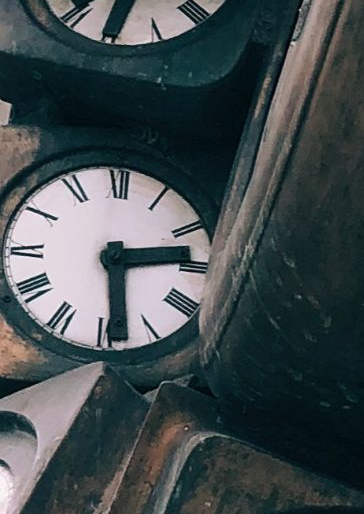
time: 2:29
